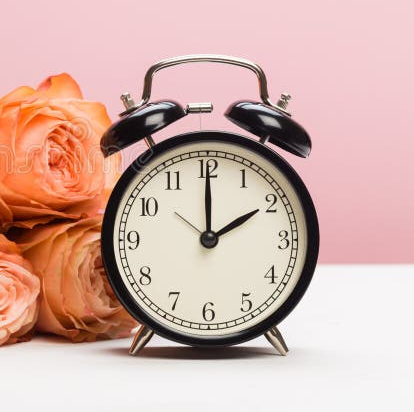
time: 2:00
